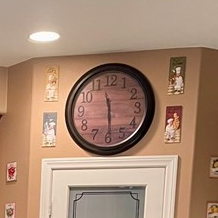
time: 11:29
